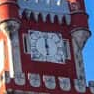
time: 5:59
